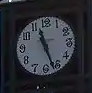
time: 11:26
